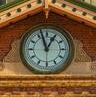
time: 12:57
